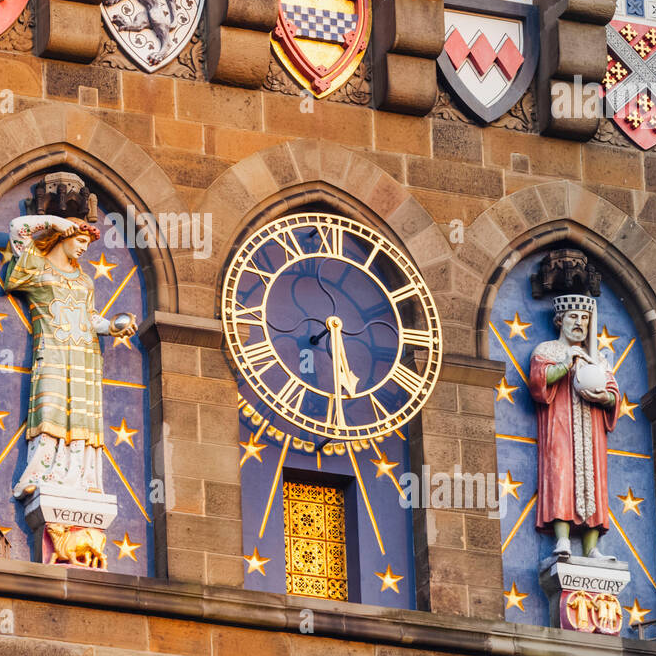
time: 5:29
